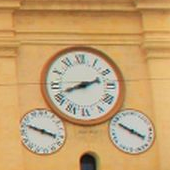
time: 8:11
